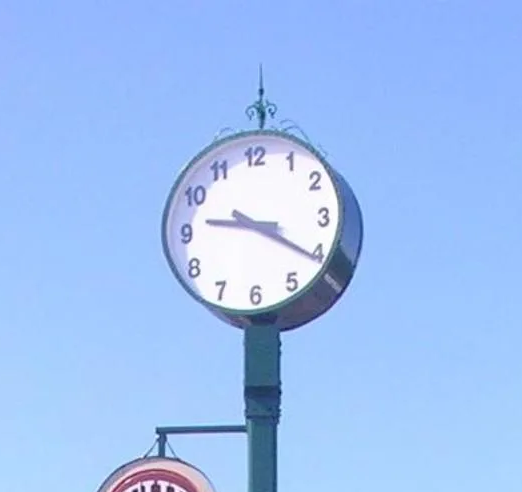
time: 9:20
